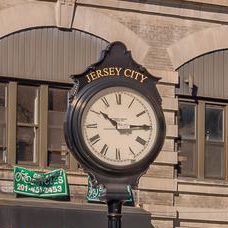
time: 10:14
